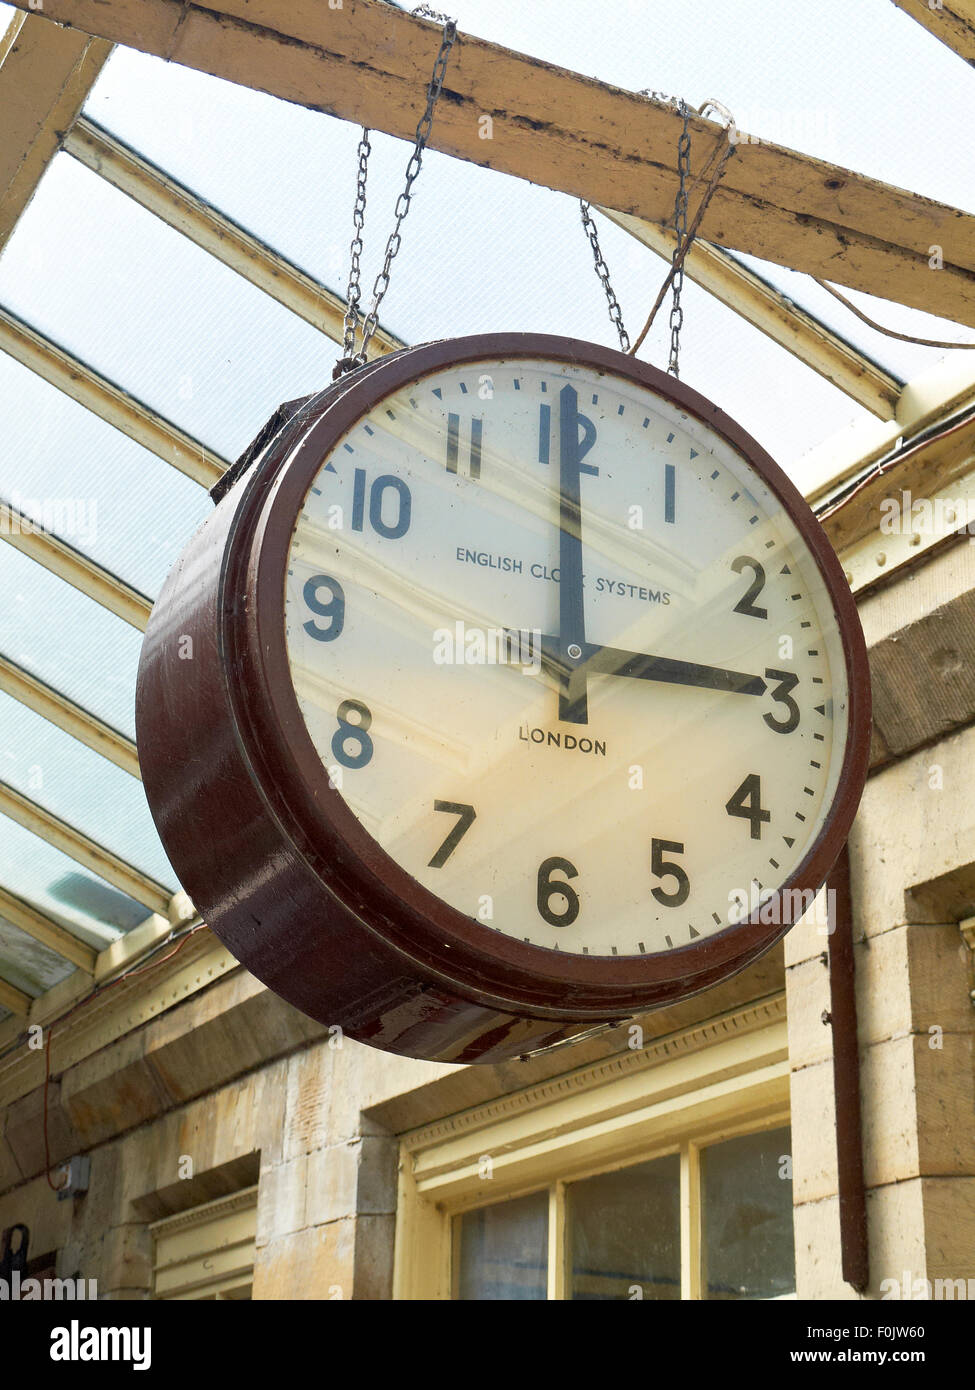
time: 2:59
